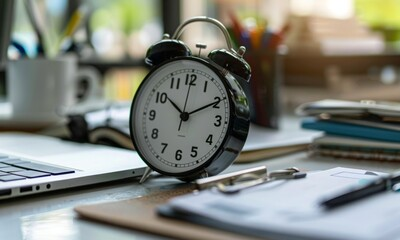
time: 10:10
